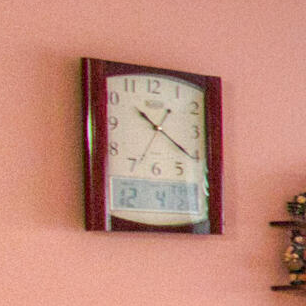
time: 10:20
